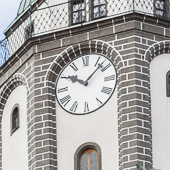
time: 10:07
